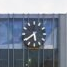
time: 5:38
